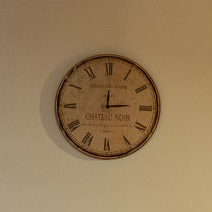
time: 3:00
